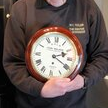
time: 2:19
